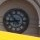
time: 8:53
